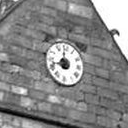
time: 11:41
